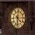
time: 4:31
